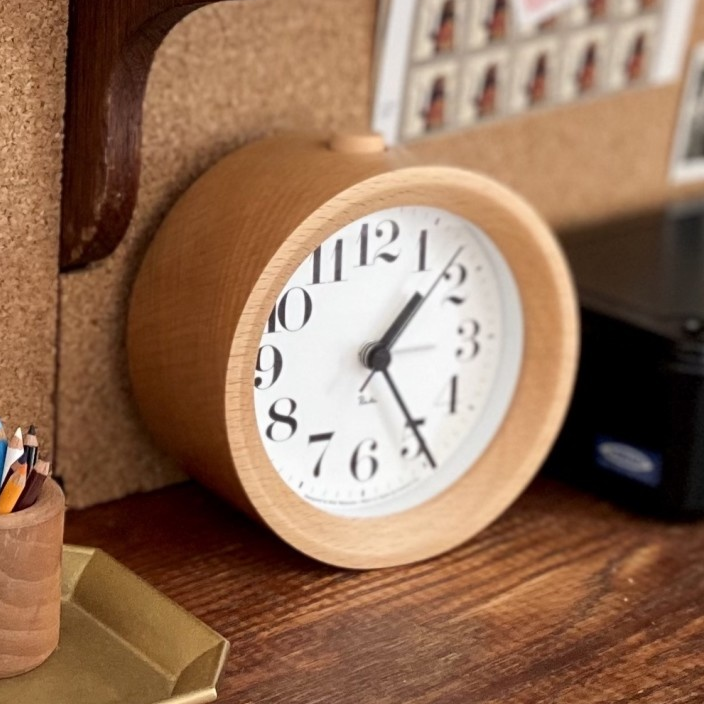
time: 1:24
